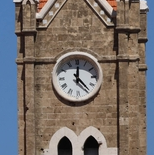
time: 12:23
